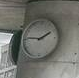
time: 1:46
